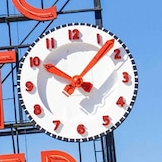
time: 10:07
